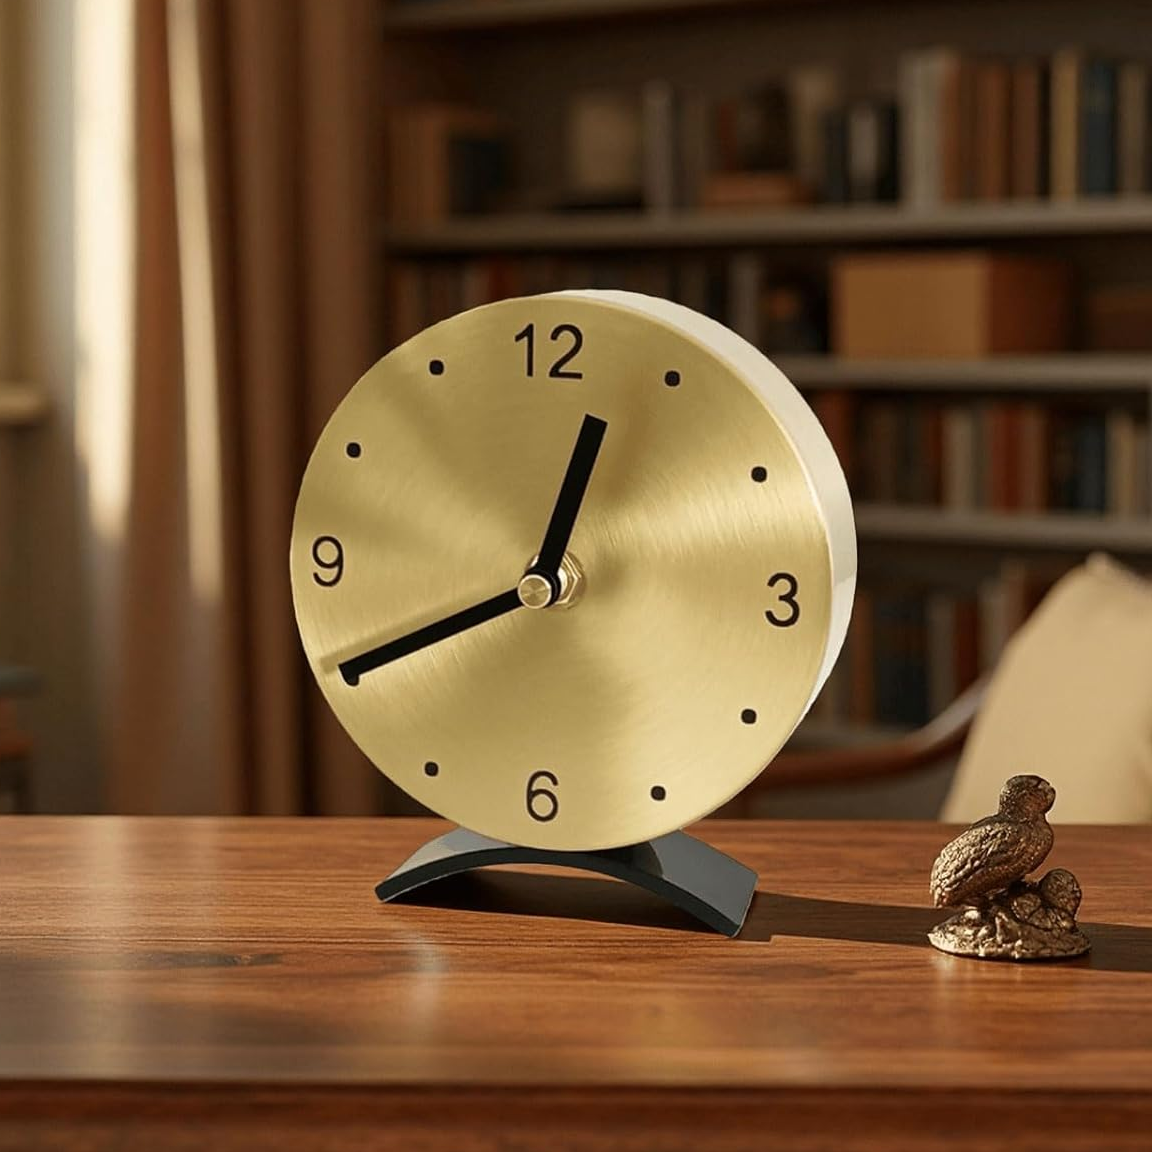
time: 12:40
